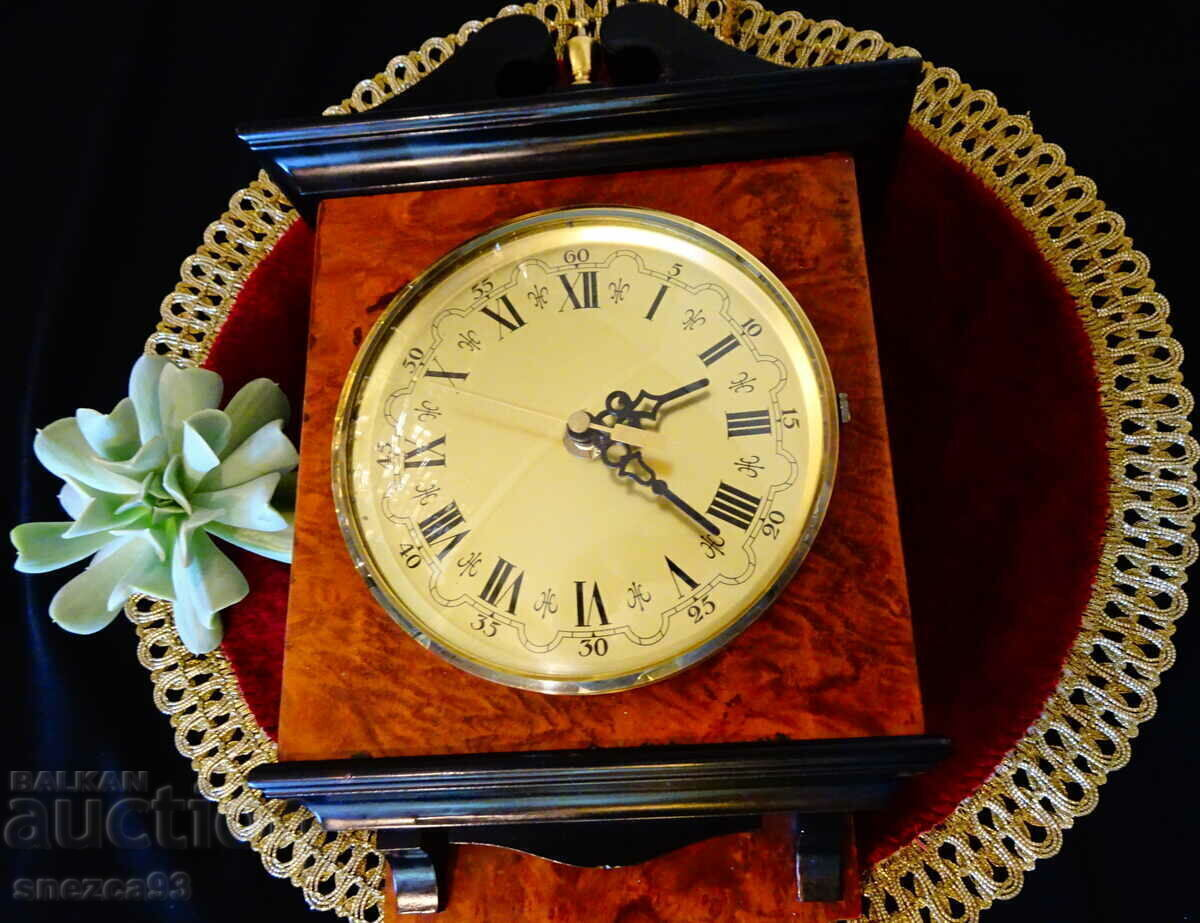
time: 2:21
